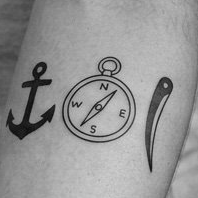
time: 1:34
